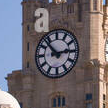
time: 2:52
